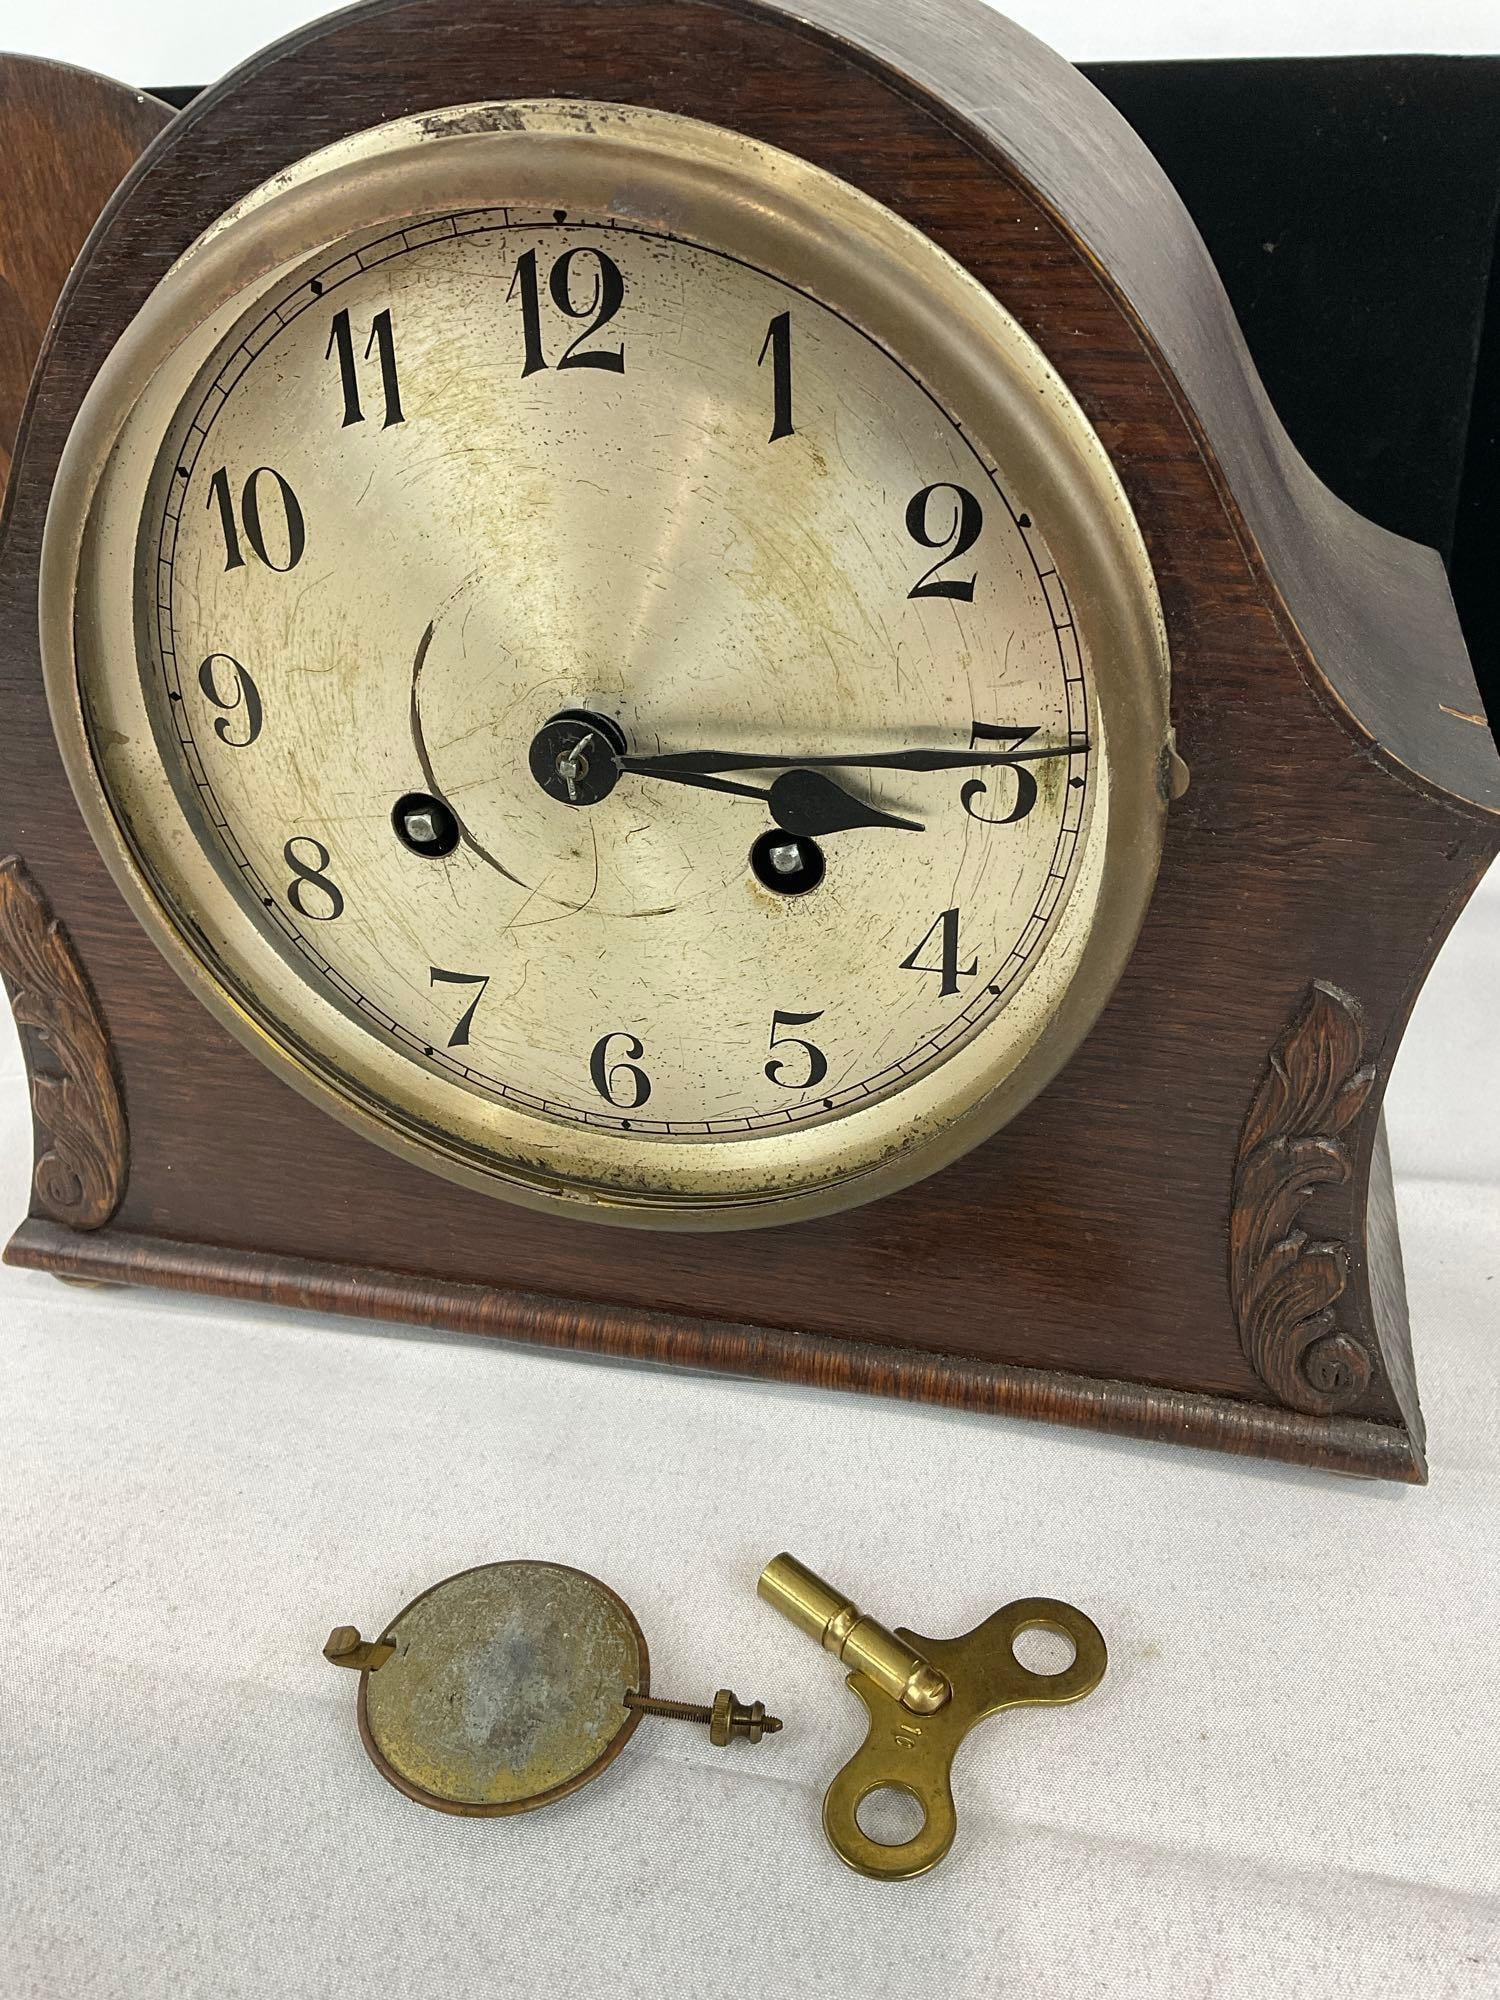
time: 3:13
